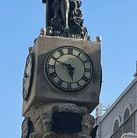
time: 5:48
